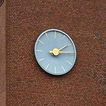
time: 2:14
